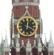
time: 12:19
